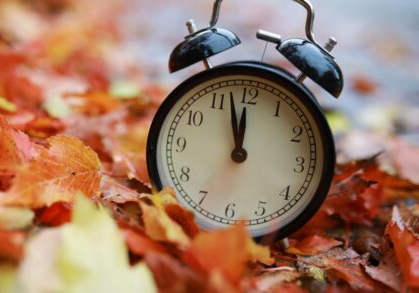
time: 11:57
